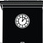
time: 12:07
